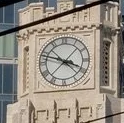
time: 3:48
